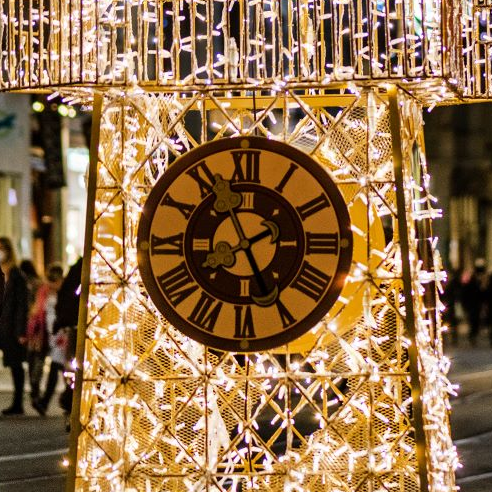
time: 2:25
